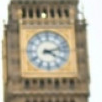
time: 4:12
